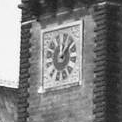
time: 12:07
